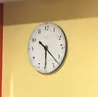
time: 10:30
